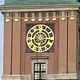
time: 6:14
